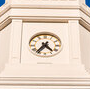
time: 4:36
